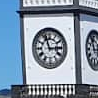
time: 2:57
